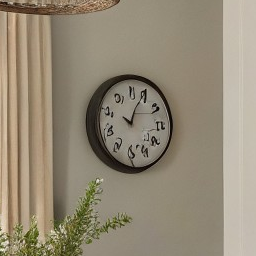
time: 10:04
